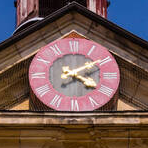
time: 4:09
